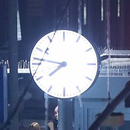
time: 7:46
